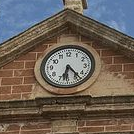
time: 6:23
